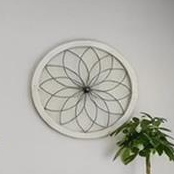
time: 9:01
